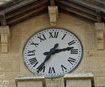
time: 2:35
